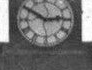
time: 2:50
